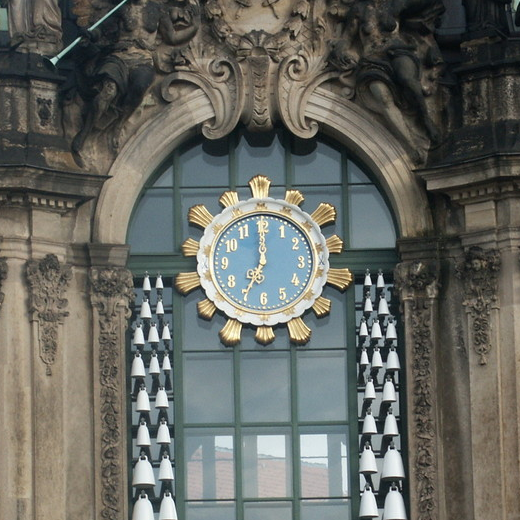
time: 7:00
